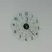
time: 12:22
